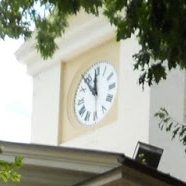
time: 11:53
